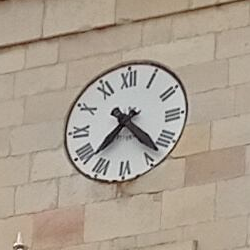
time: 7:22
